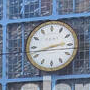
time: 2:42
